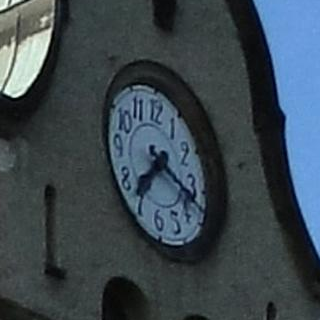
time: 7:18
